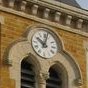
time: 10:02
